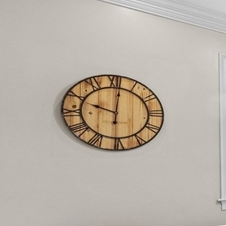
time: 10:01
